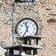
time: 11:34
